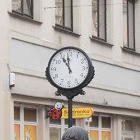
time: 10:59
